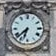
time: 6:38
